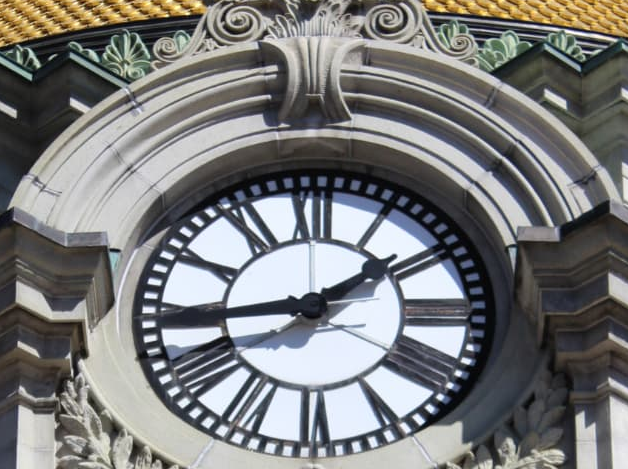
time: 1:43
